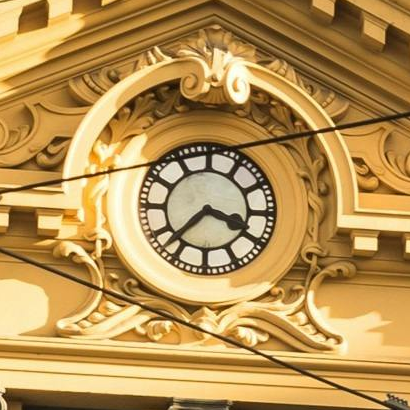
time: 3:37
